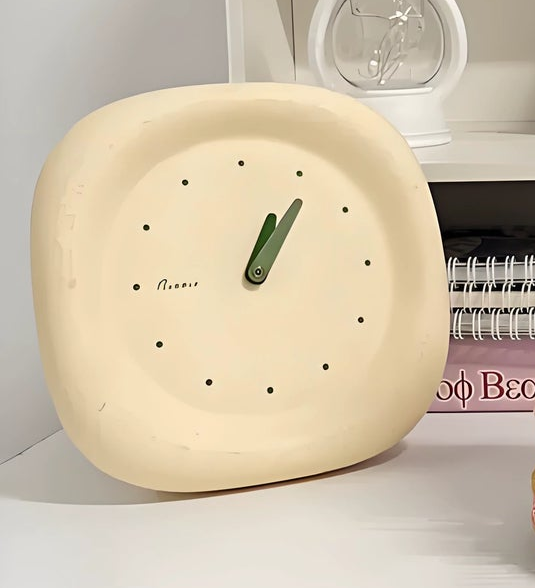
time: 1:06
